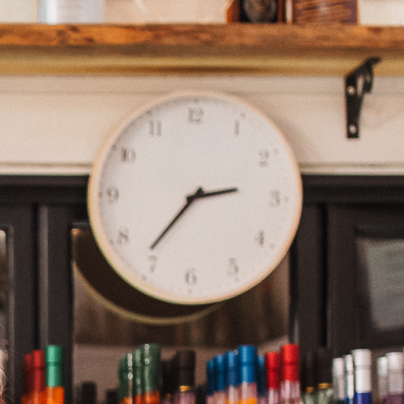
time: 2:36
